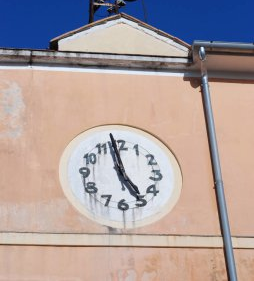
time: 4:58
